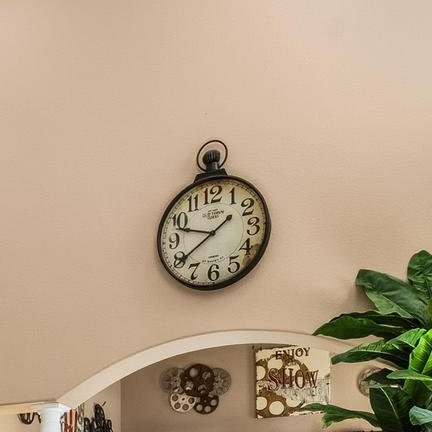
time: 9:39
